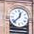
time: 12:37
